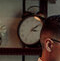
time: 3:09
